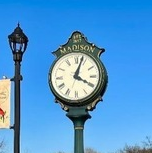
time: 4:03
